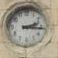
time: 2:16
